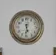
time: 5:31
